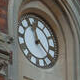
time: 11:21
